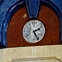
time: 2:25
